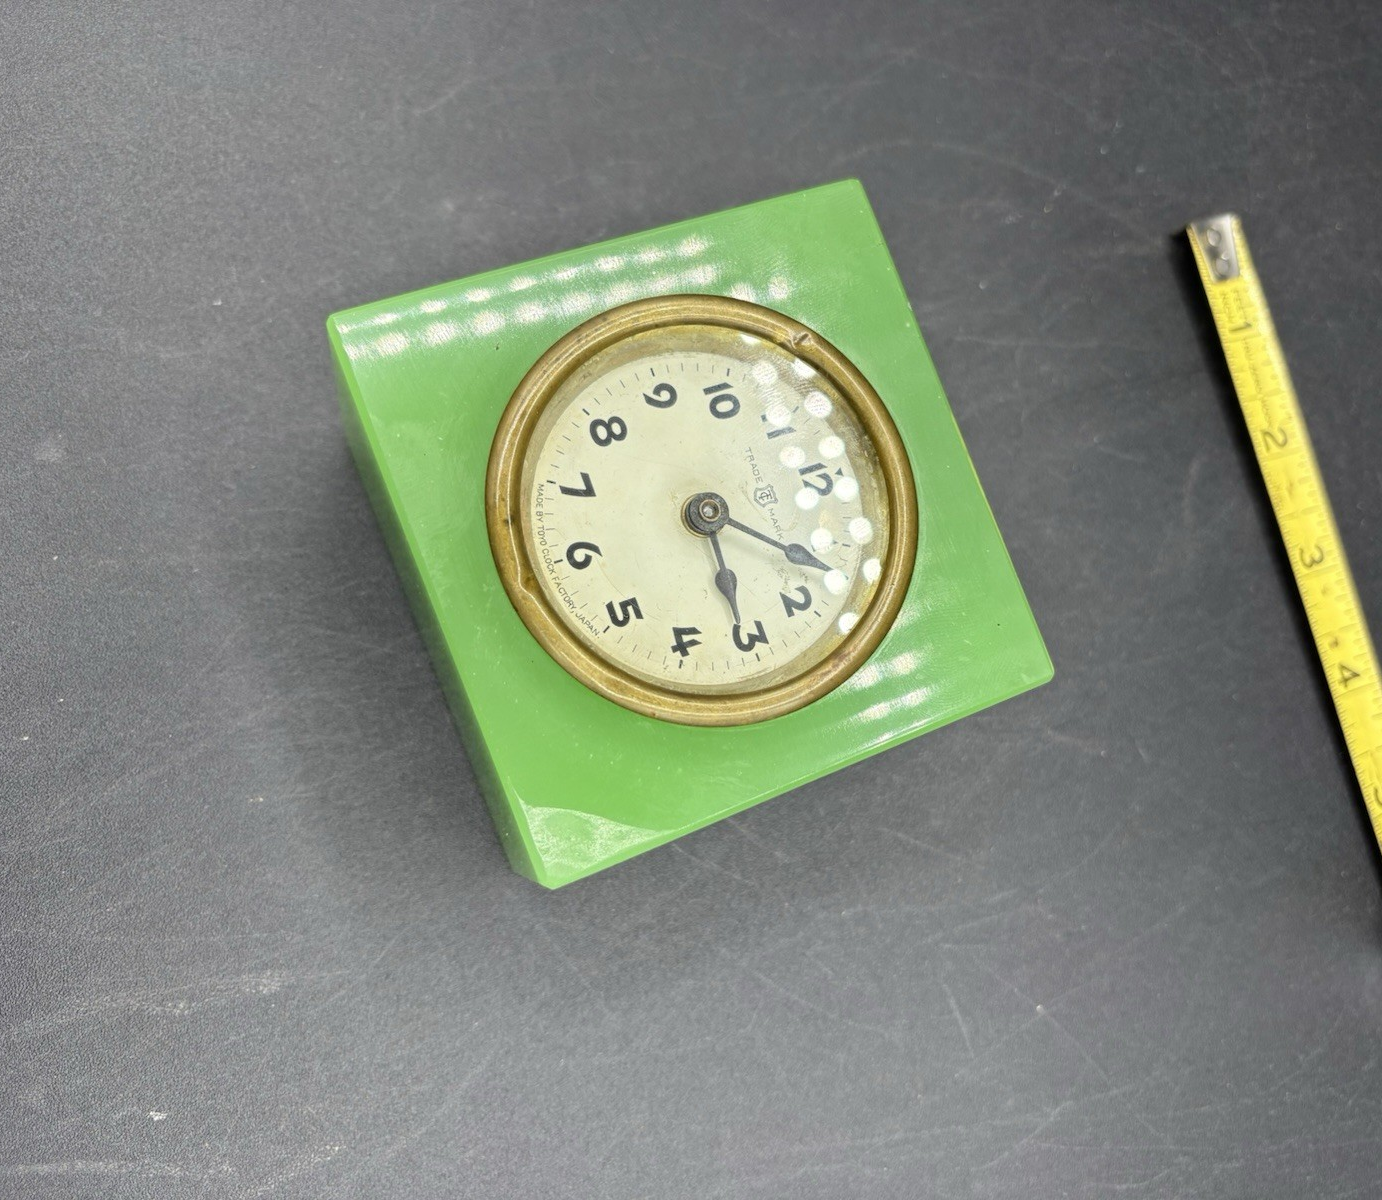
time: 6:21
